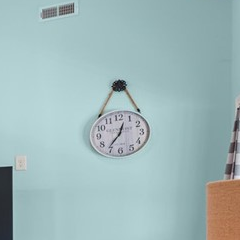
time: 12:36
